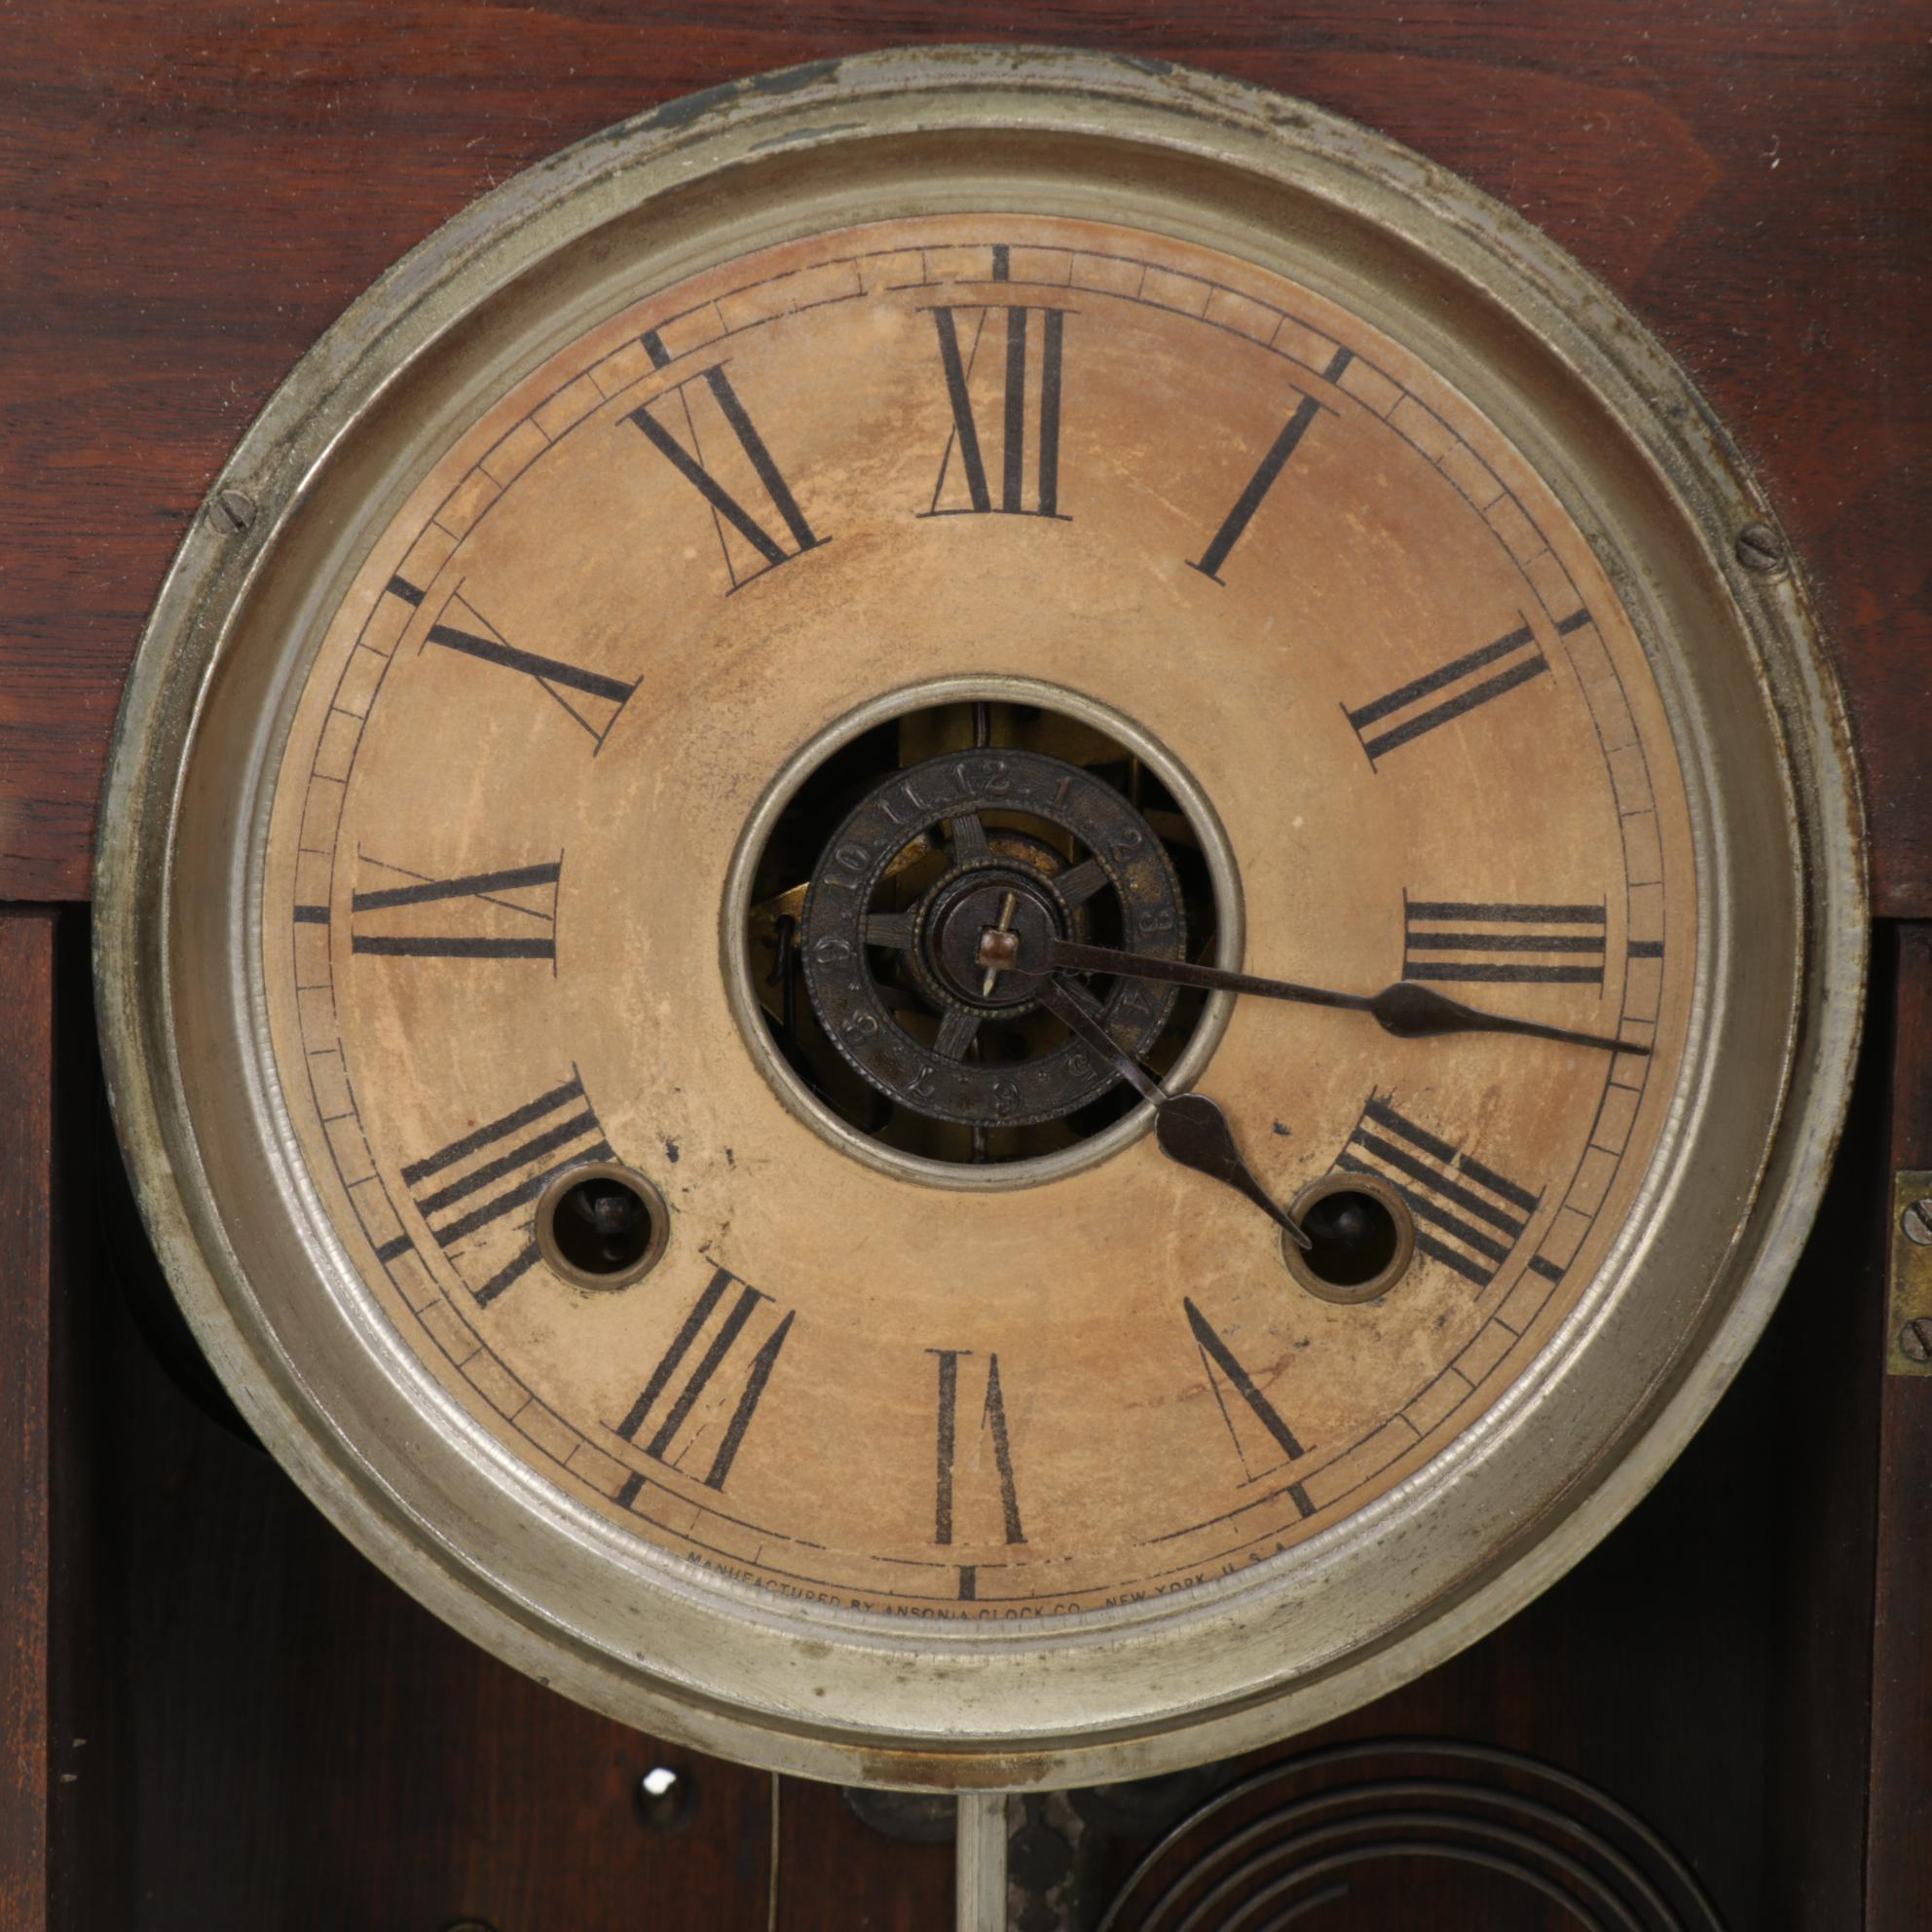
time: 4:16
